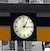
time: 1:14
